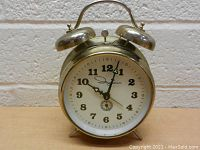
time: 10:03
